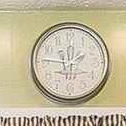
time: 1:46
